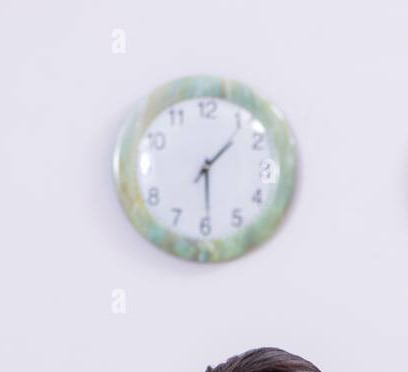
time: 1:29
